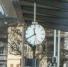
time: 11:40
